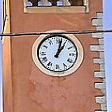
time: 1:02
